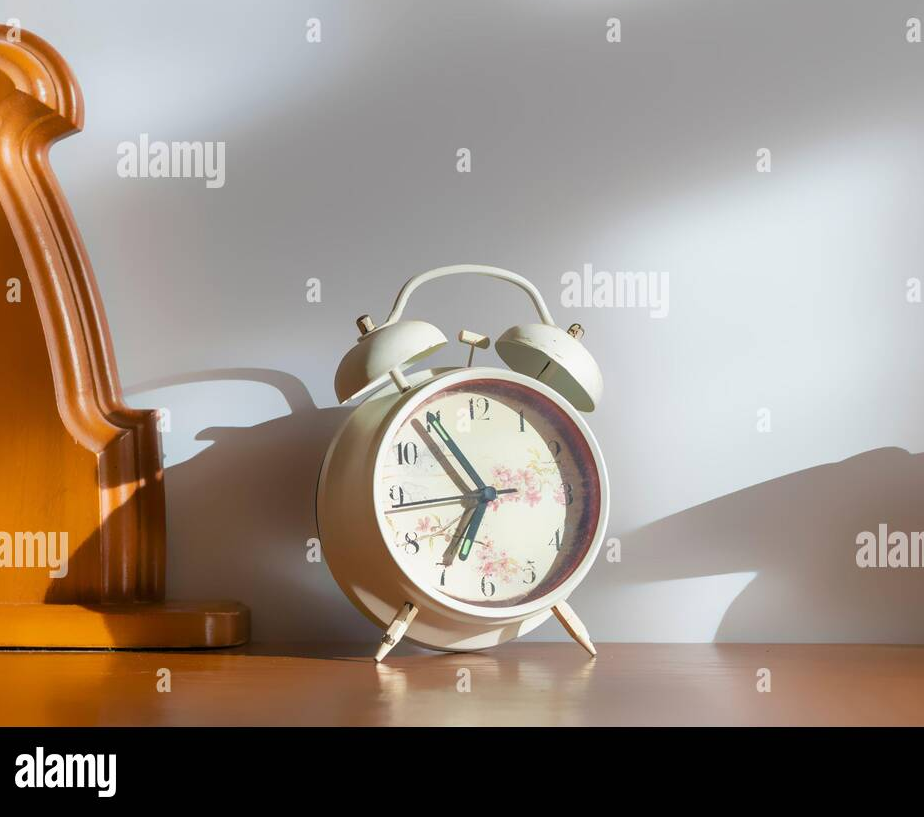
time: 6:53
